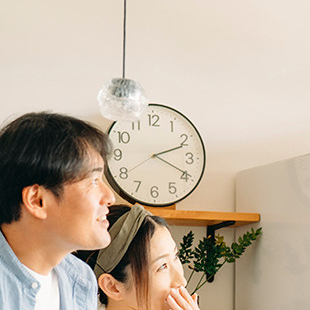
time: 2:19
